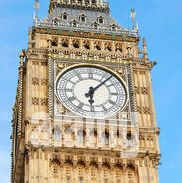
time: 6:07
